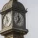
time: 11:36
